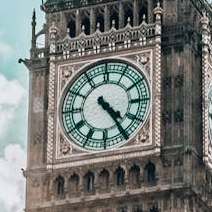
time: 4:24
